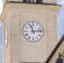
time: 11:13
